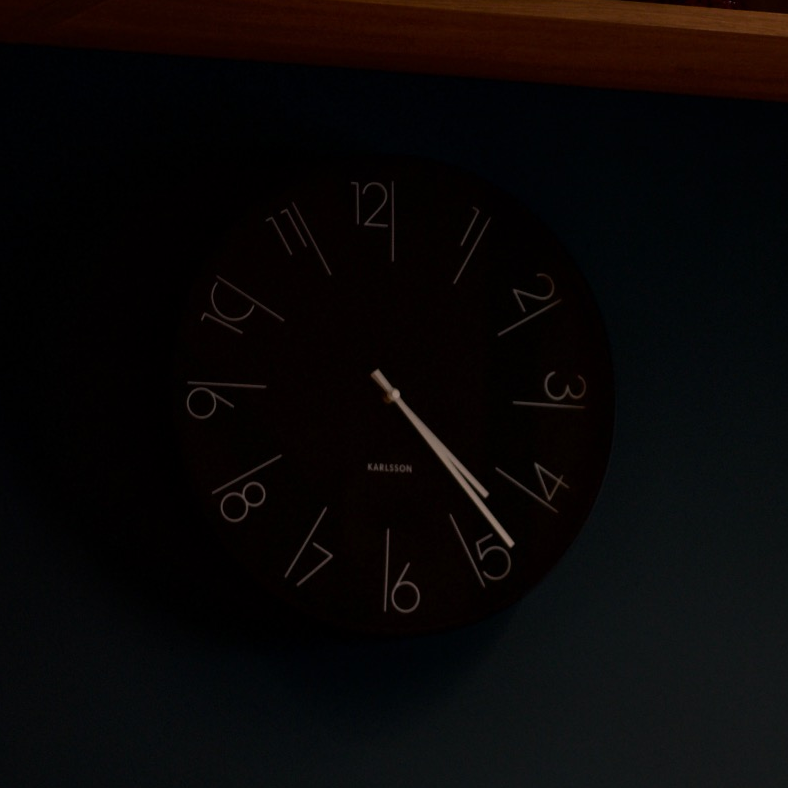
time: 4:23
